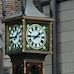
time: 1:44
